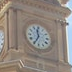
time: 11:34
